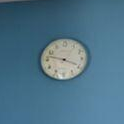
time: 3:47
